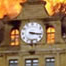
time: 3:17
